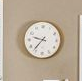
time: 9:36
